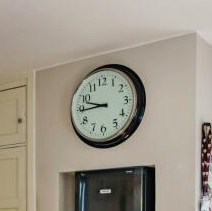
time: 9:44
